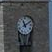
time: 11:09
